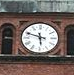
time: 5:48
